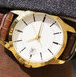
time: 7:59
